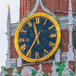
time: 11:35
